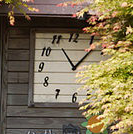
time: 11:06
